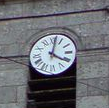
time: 4:01
